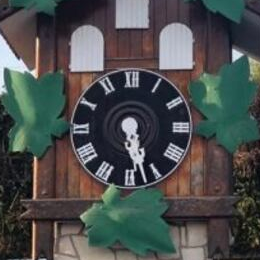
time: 5:27
